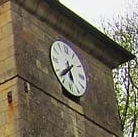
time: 5:37
